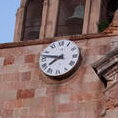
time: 7:46
